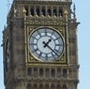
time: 1:22
